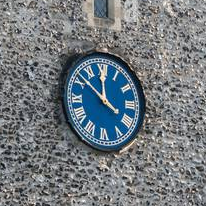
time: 11:51
